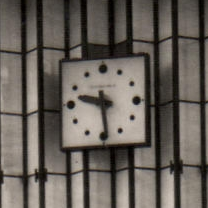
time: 9:29
